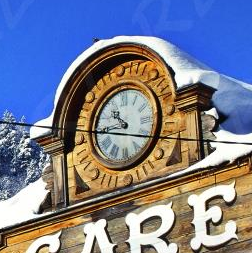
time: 10:45
